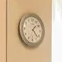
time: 1:22
